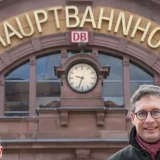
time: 9:33
